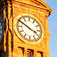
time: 3:50
